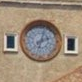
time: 2:02
